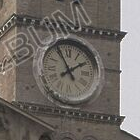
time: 1:55
